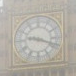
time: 9:18
